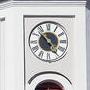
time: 4:52
